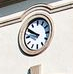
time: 9:50
